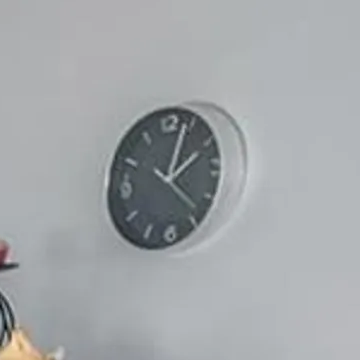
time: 2:03
